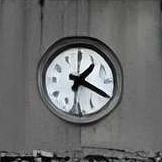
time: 1:19
